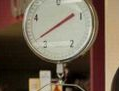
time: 1:38
